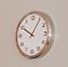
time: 10:05
